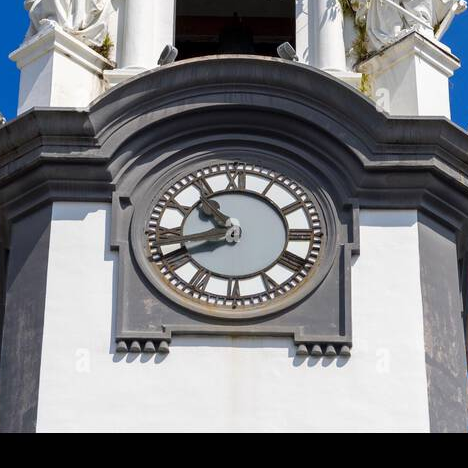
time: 10:41
